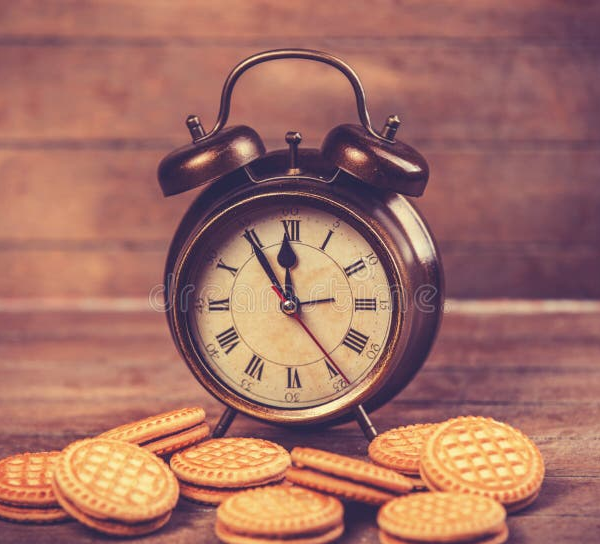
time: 11:54
